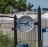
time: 1:45
